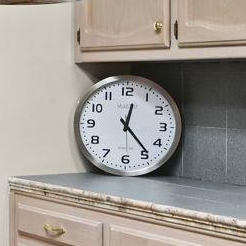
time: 12:23
